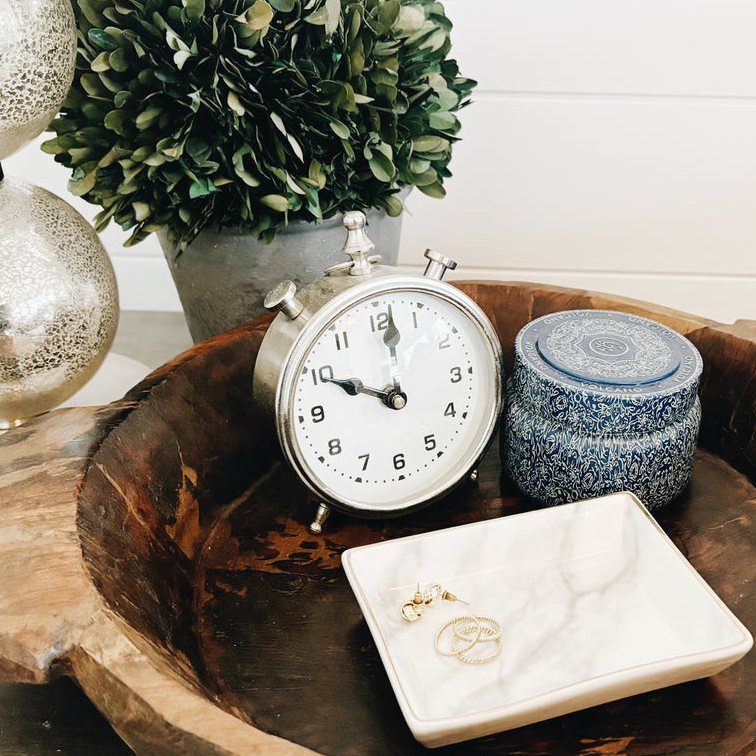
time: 10:01
